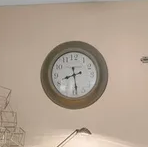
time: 8:28
